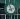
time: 8:57
